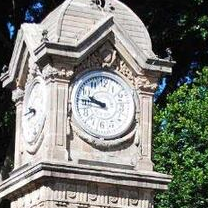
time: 9:45
